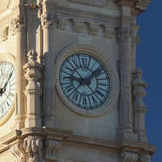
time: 9:08
